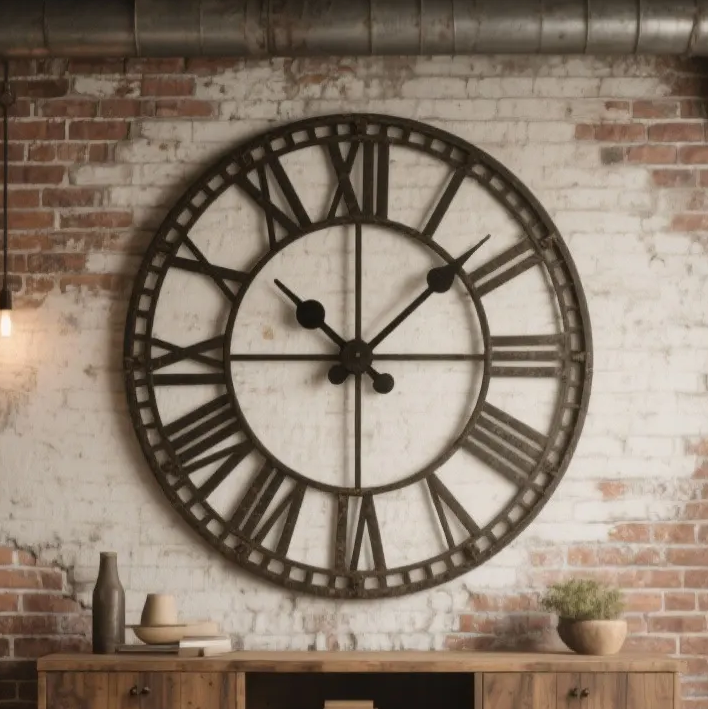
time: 10:07
